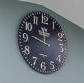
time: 11:46
